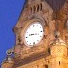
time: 9:17
